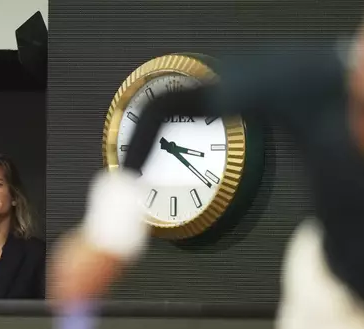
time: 3:21
